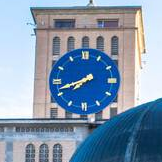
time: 7:41
